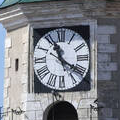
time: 11:20
